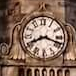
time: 8:18
